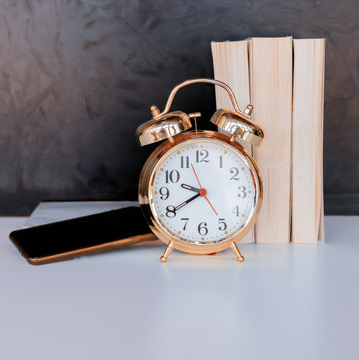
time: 9:40
